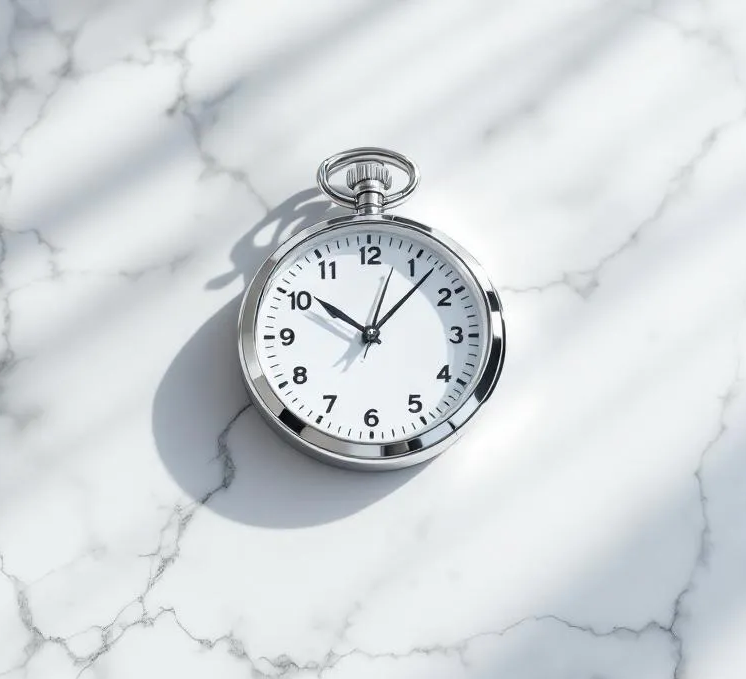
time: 10:07
